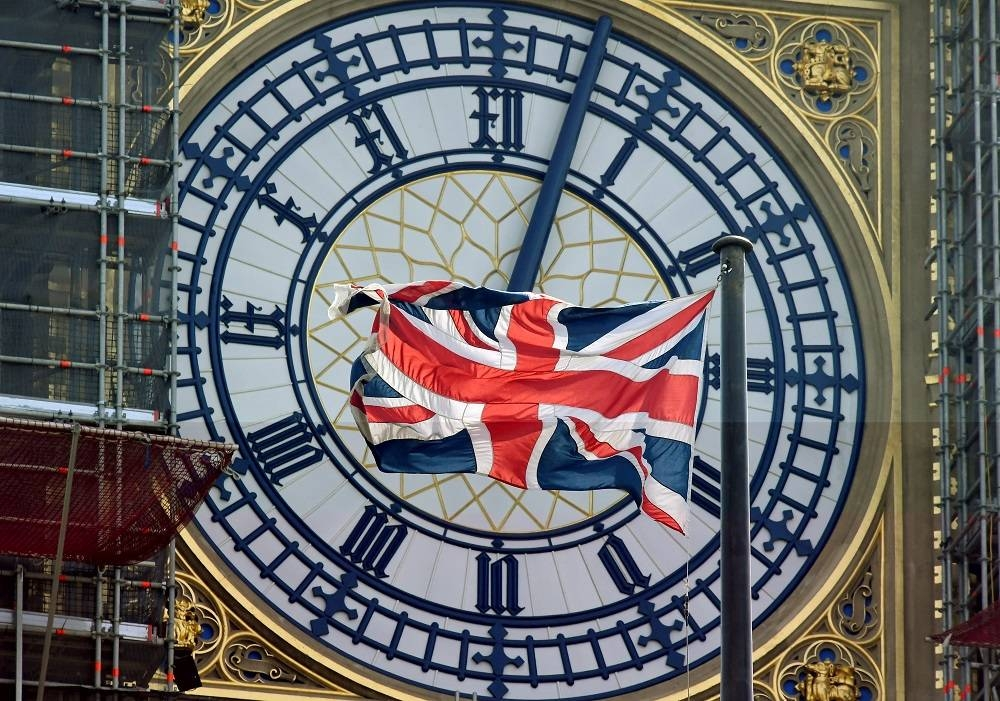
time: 9:02
